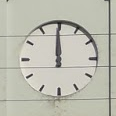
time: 11:59
